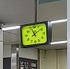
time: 11:08
